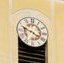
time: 3:48
